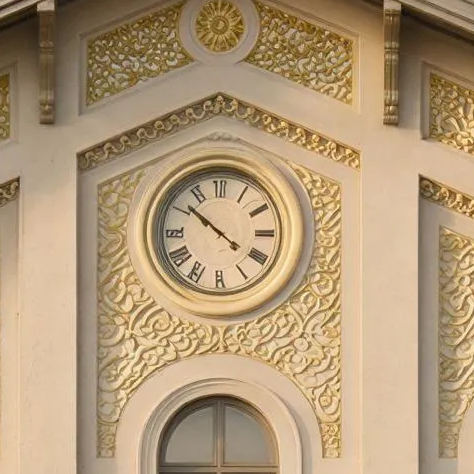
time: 9:51
